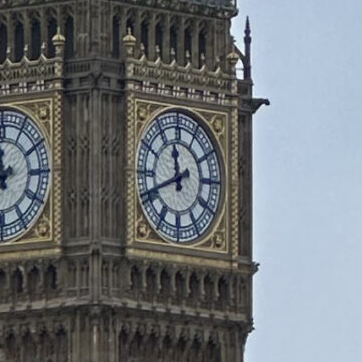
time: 11:41
